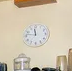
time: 11:46
